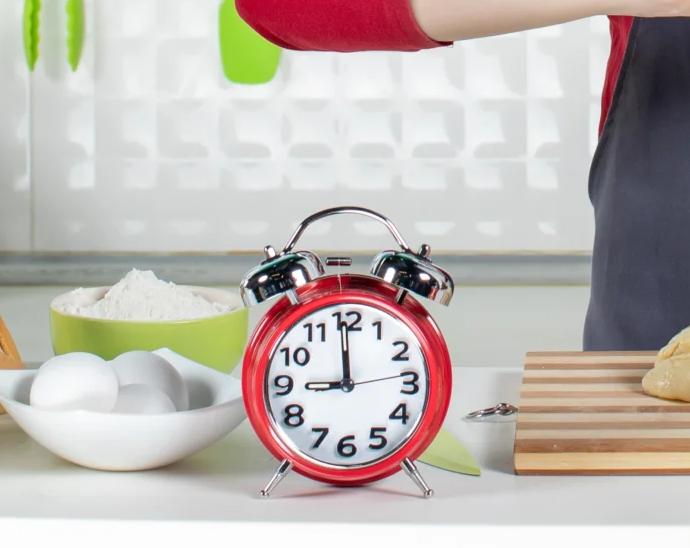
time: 8:59
